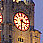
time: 3:31
